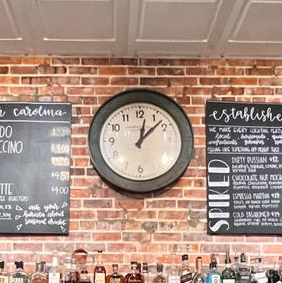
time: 12:07
